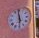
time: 5:59
